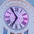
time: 6:54
